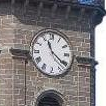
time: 11:21
